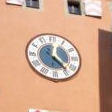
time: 12:23
